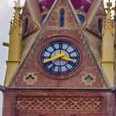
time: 3:40
